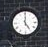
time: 5:00
